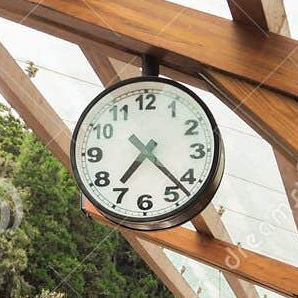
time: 7:22
